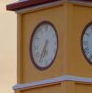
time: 6:36
